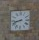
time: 8:42
